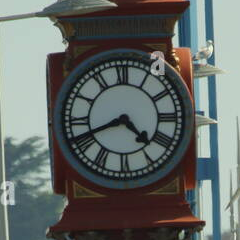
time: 4:41
